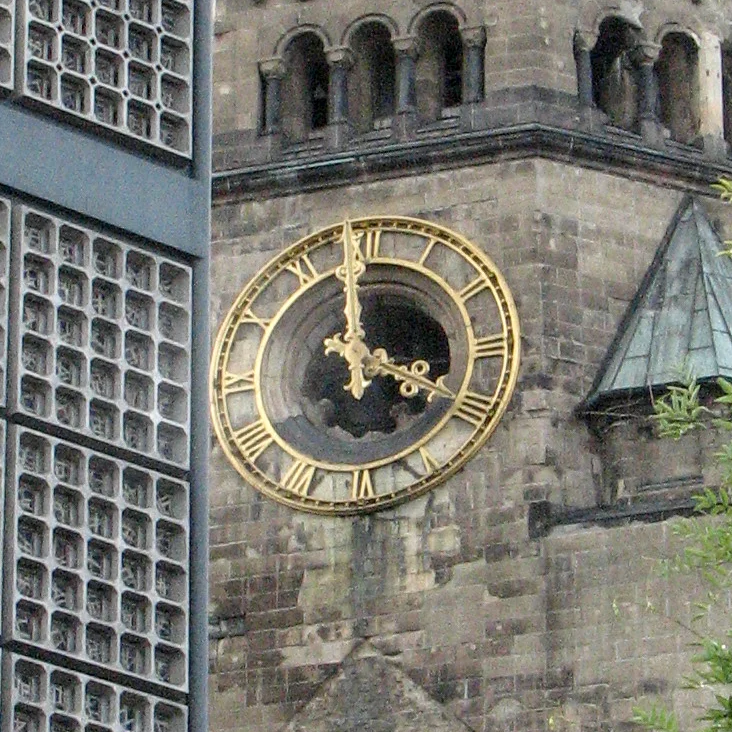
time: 3:58
